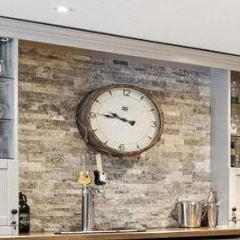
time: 9:45
